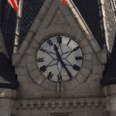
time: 11:24
